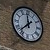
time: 11:37
